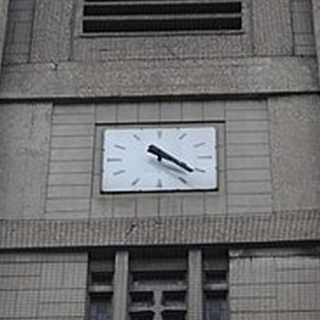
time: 4:22
